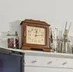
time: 12:13
